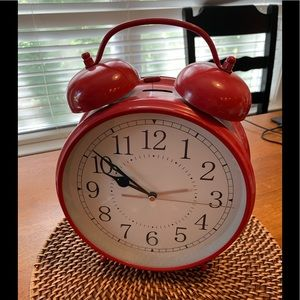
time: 9:51
